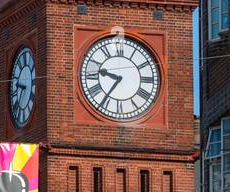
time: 9:35
